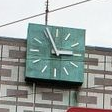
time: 2:56
